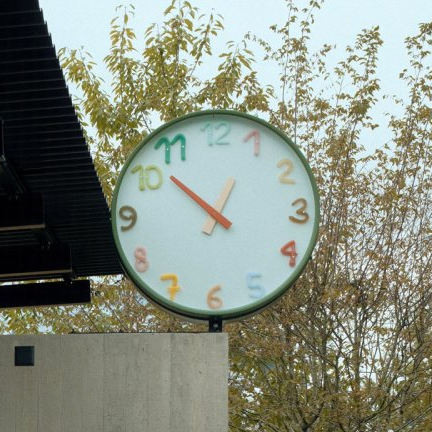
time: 12:52
